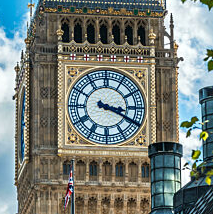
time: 3:19
